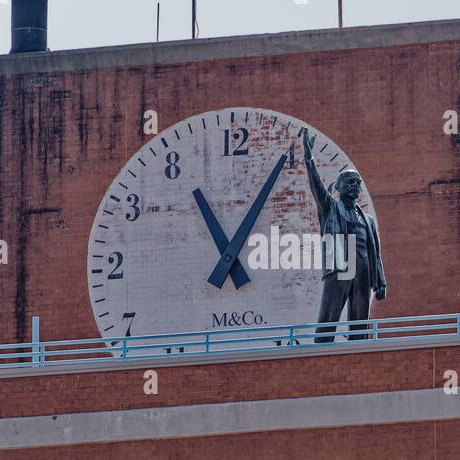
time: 11:05
